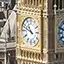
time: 10:48
